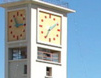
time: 1:34
